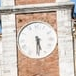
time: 5:30
